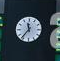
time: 11:36
